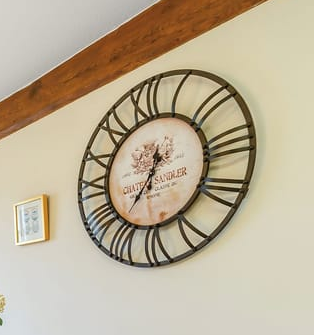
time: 12:36
